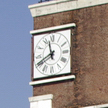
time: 11:40
